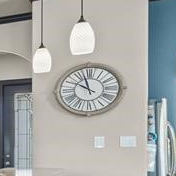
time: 9:57
